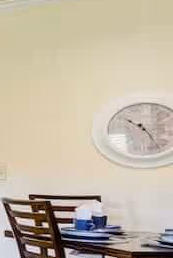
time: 10:24
